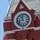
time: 11:42
